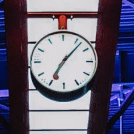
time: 7:07
